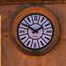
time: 1:50
